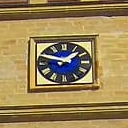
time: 1:47
